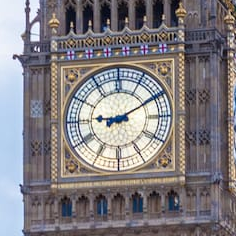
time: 9:10
